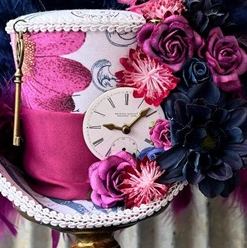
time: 9:07
